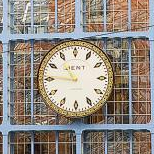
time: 10:46
